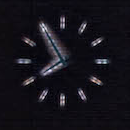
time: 7:55
